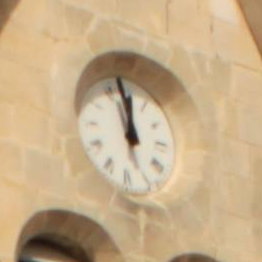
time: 11:57
